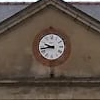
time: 9:43
